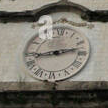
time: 2:43
